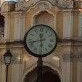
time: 11:42
